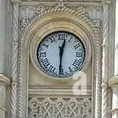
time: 12:30
